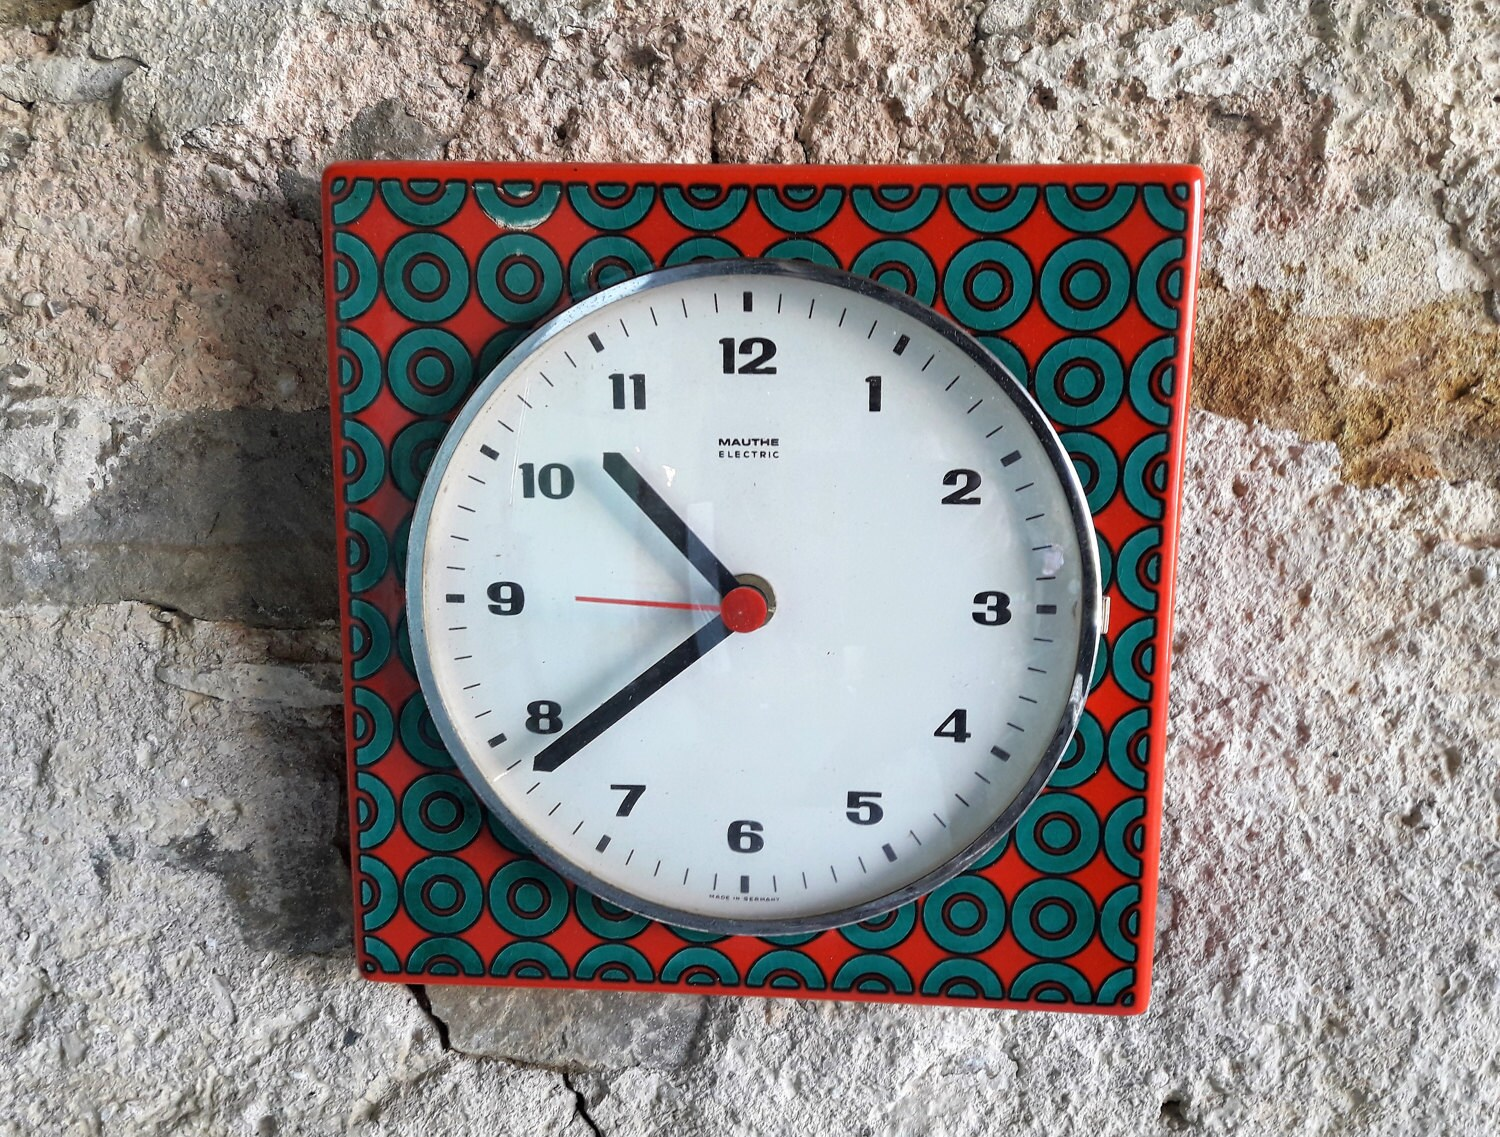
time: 10:38
